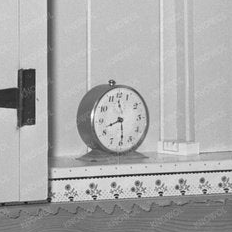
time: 8:29
